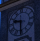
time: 9:30
